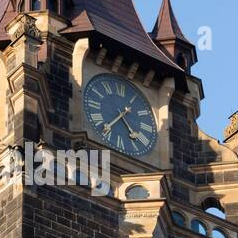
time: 4:36
